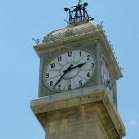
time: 2:37
